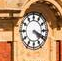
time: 4:19
